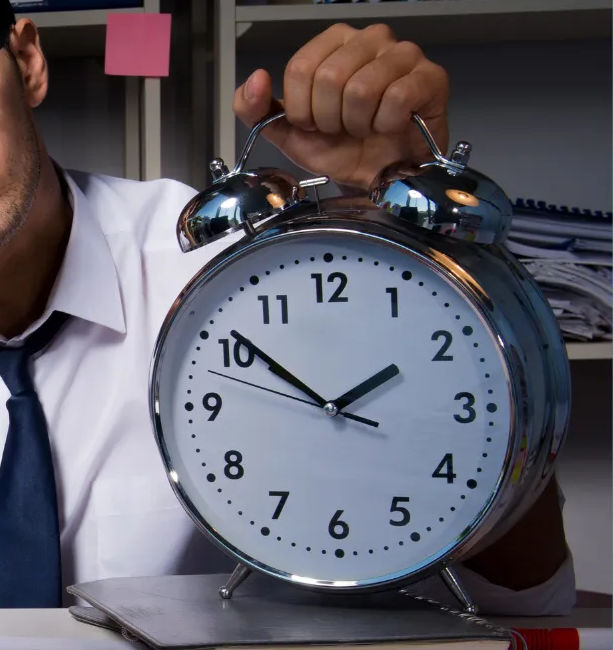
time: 1:51
